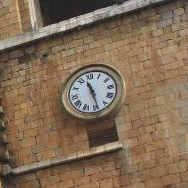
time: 11:29
